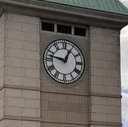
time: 12:47
